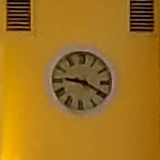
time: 9:19
